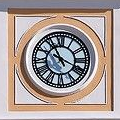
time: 3:55
